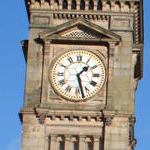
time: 1:27
